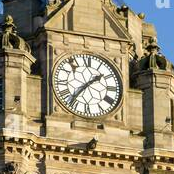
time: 1:36
